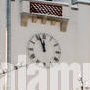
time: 11:56
